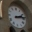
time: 2:13
